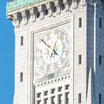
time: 12:52
